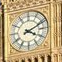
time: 4:10
